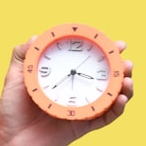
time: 3:38
